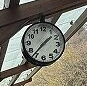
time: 1:36
